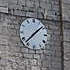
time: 1:37
